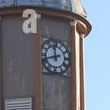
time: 11:41
